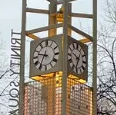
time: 9:34
